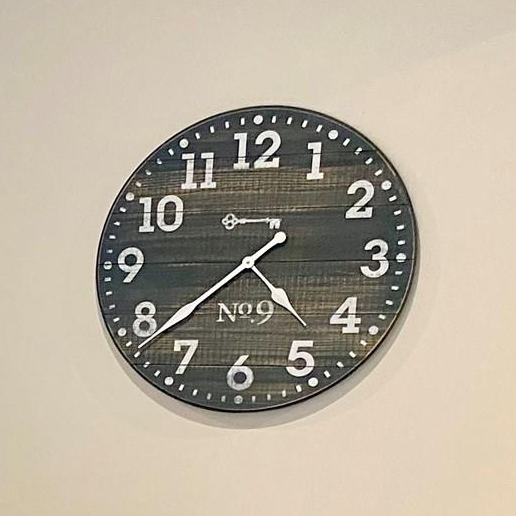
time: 4:38
